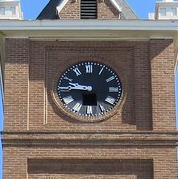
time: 9:45
